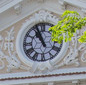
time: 10:56
